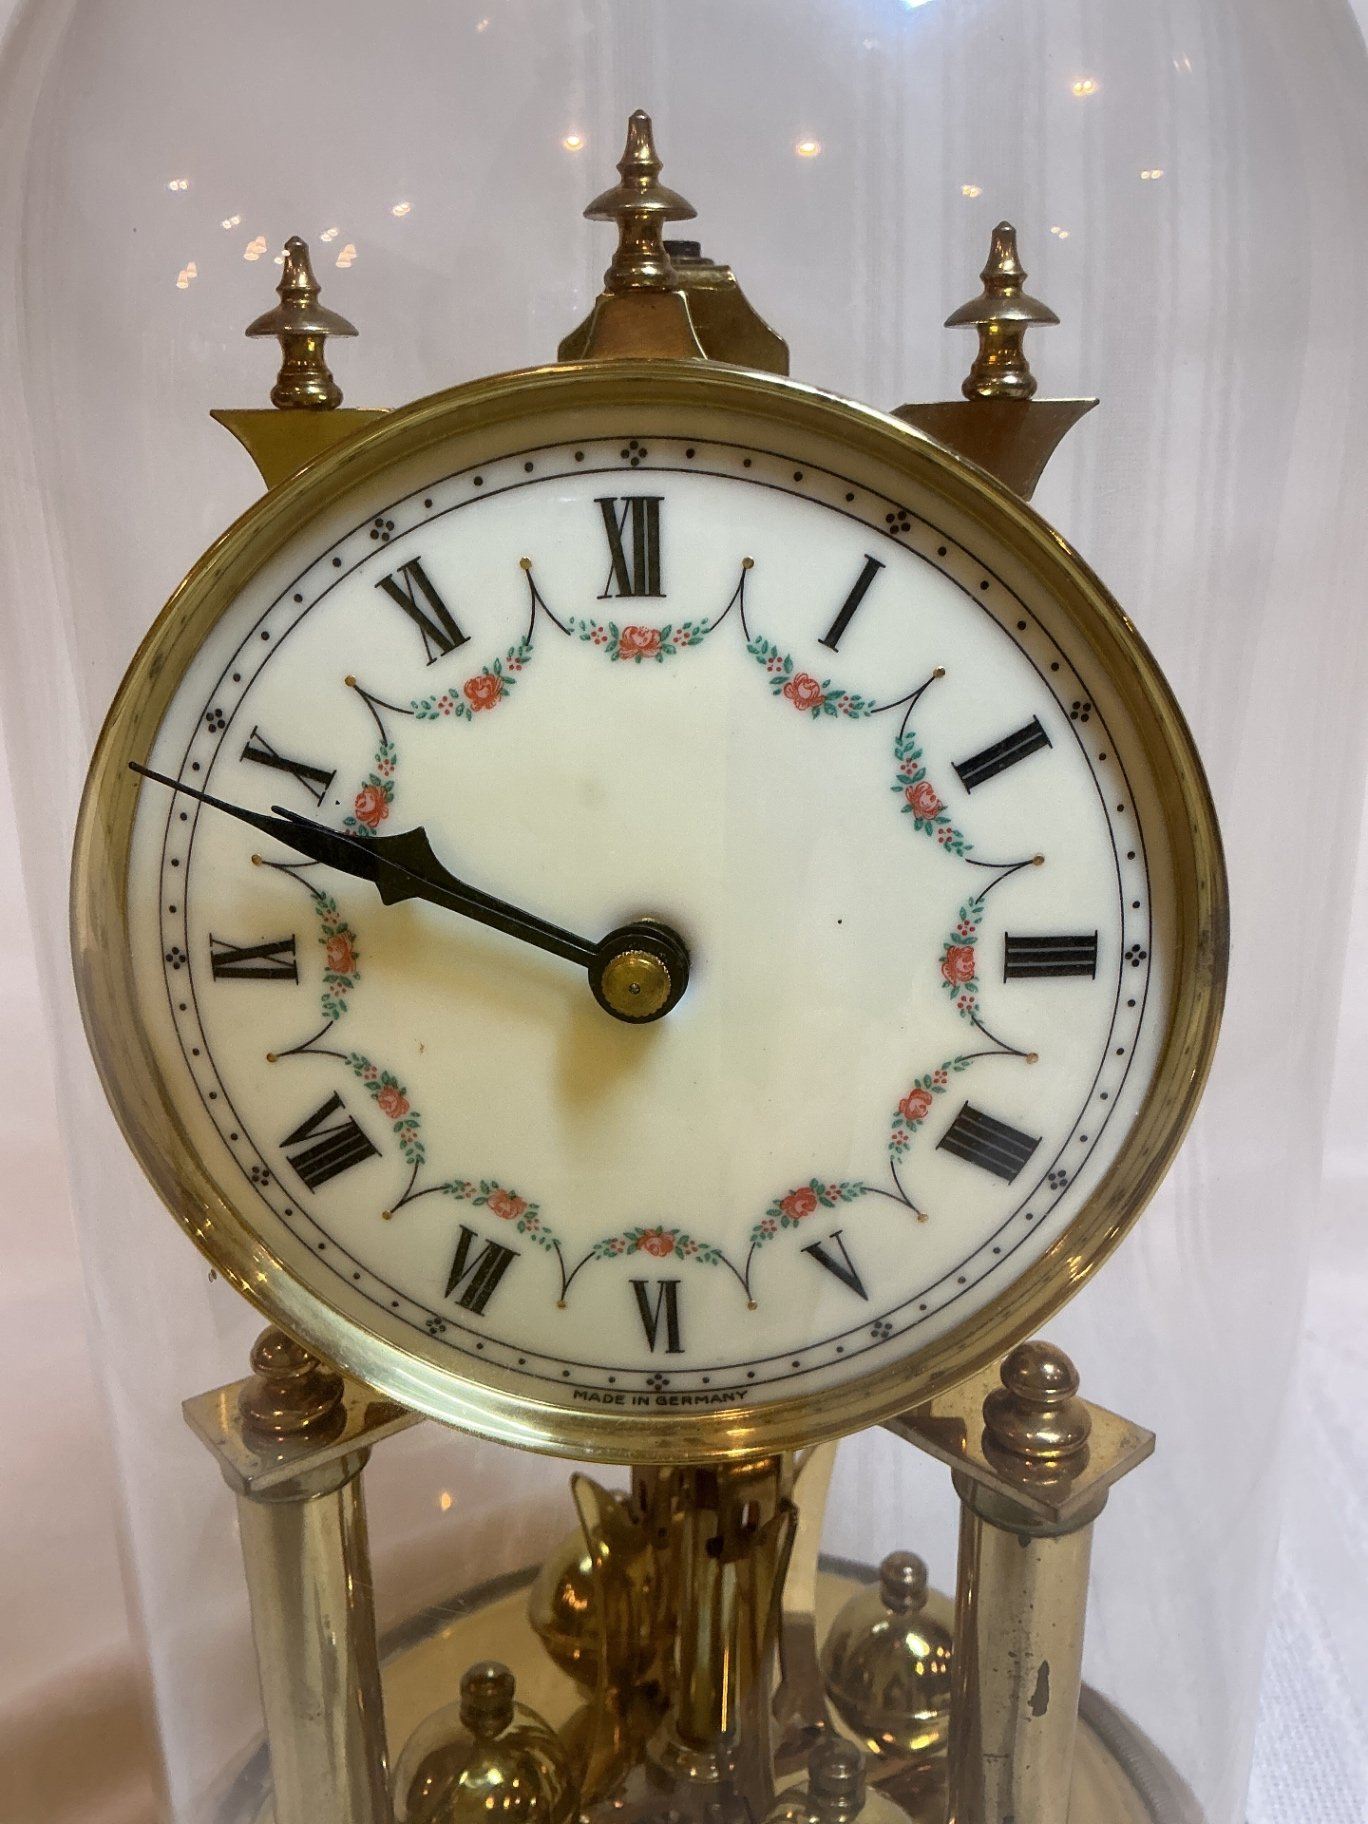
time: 9:48
